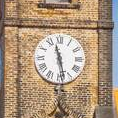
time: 11:28
